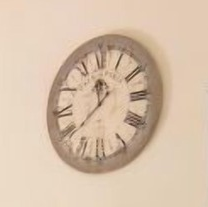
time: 11:38
